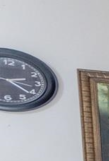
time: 2:21
